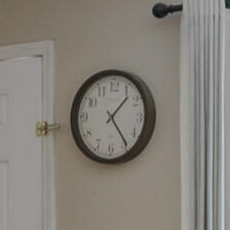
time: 1:23
